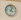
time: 4:04
